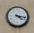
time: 4:16
